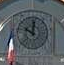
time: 10:00
